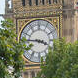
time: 3:45
